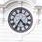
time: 4:35
